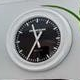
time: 11:35
